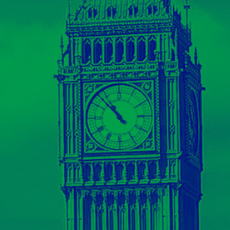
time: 10:52
